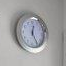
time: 12:24
